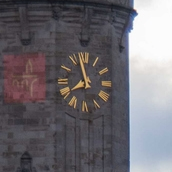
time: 7:58
